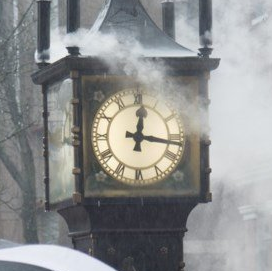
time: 12:16
